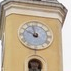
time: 9:57
